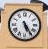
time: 5:24
